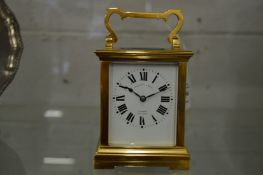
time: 10:11
